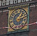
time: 1:12
